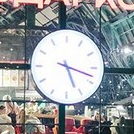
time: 5:18
